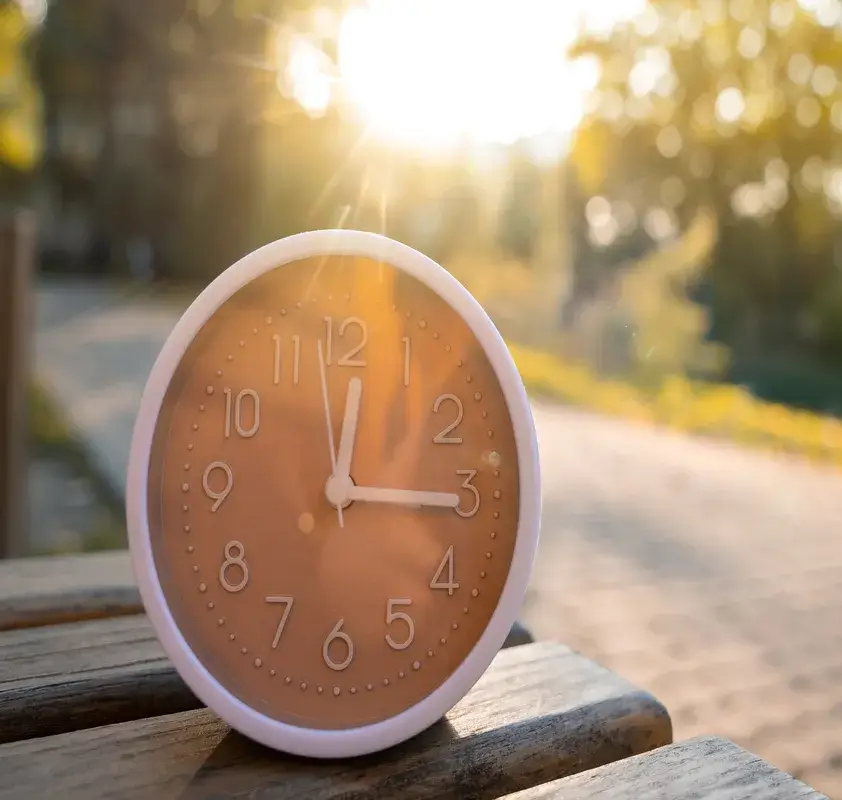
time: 12:15
